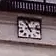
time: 11:13
